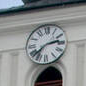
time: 2:38
